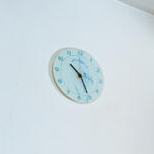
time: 10:25
